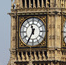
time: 11:35
